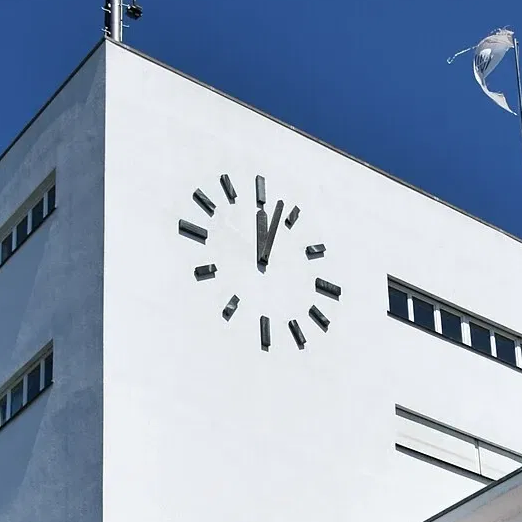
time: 12:03
